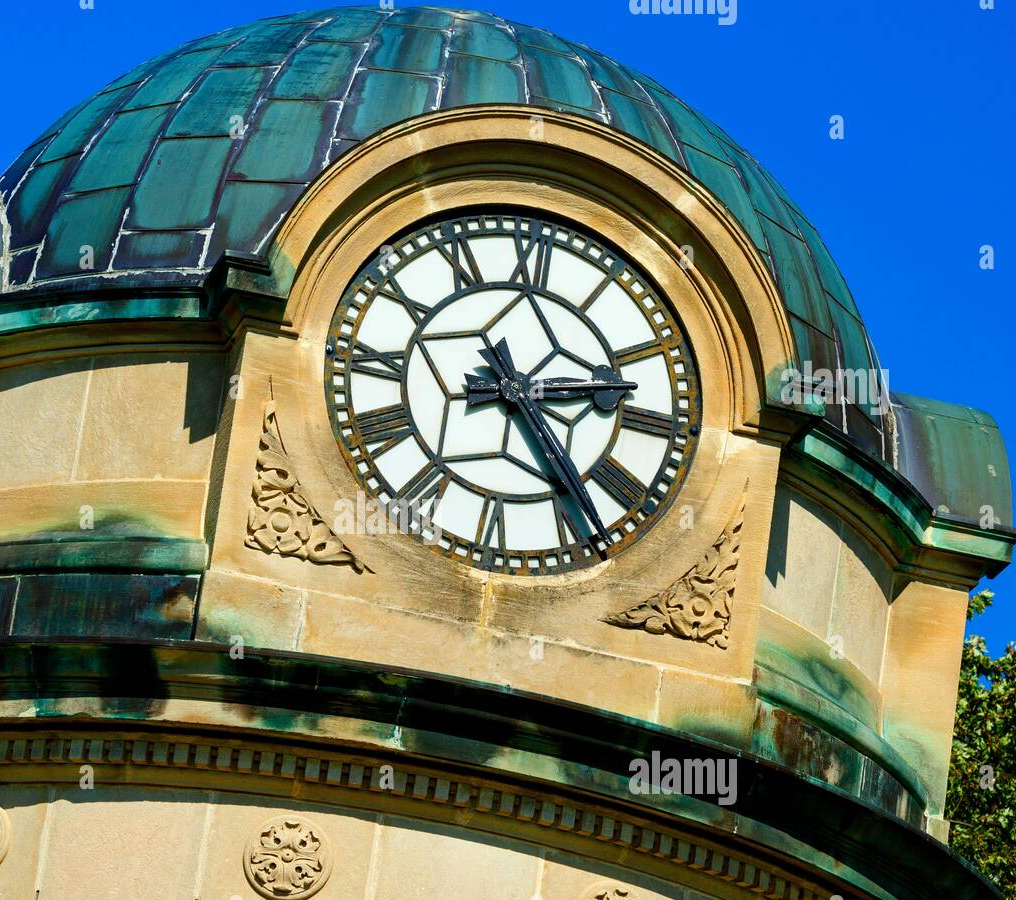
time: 2:23
